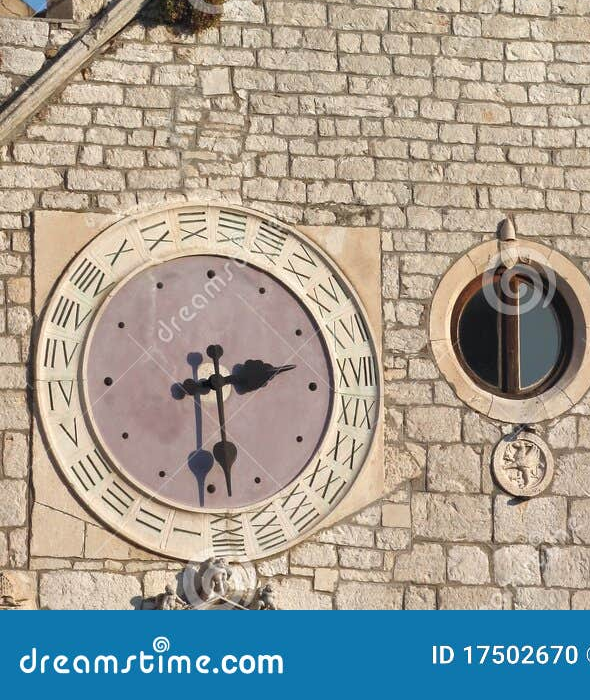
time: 2:29
